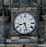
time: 8:27
